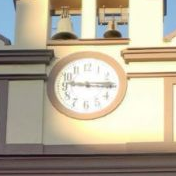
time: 9:14
